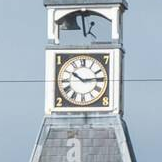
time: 10:13
